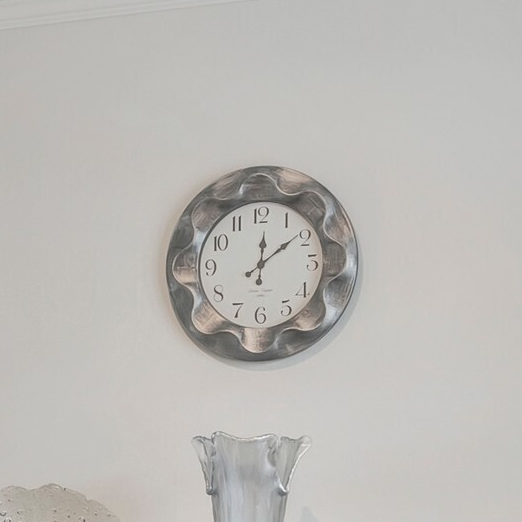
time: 12:09
